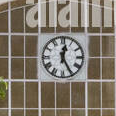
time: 12:24
